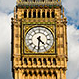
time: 4:31
